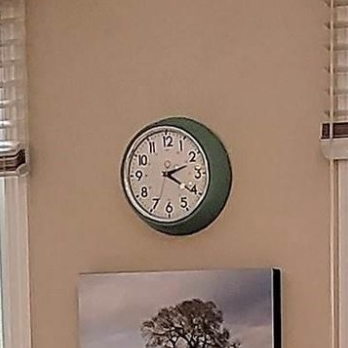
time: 2:20
